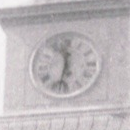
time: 11:32
